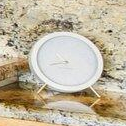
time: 10:42
